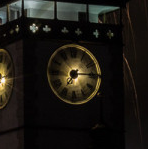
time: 7:14
